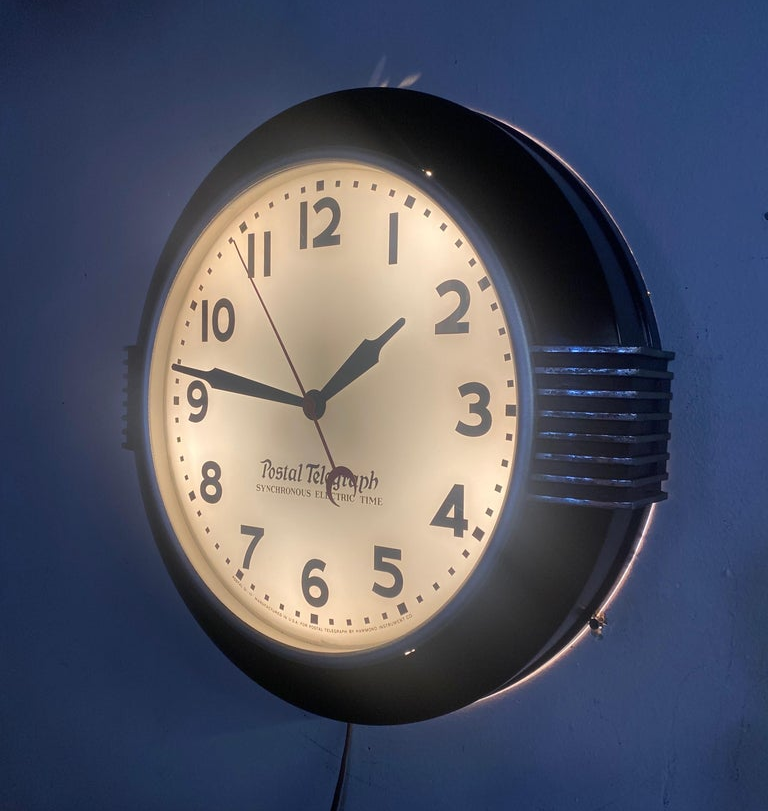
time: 1:46
